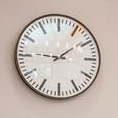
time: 1:46
